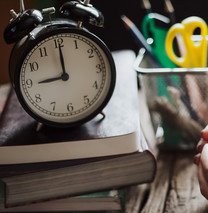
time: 9:00
